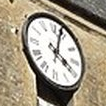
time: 4:02
